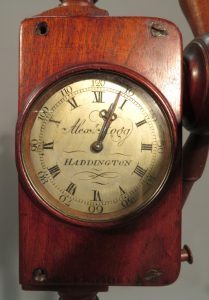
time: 12:03
